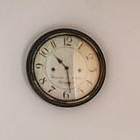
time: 10:28
